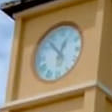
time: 12:53
